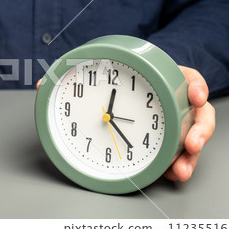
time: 12:23
